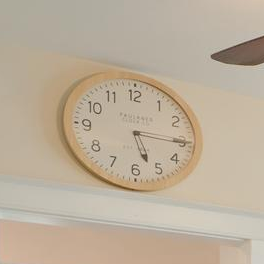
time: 5:15
